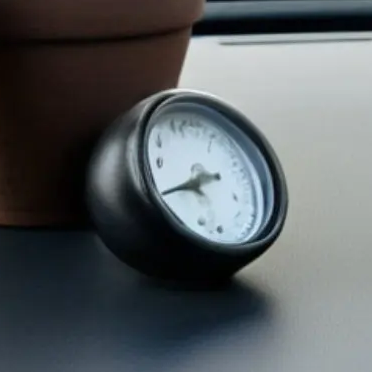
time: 7:40
